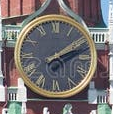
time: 2:09
